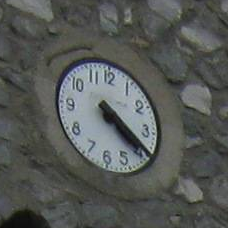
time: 4:20
